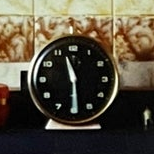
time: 11:29
